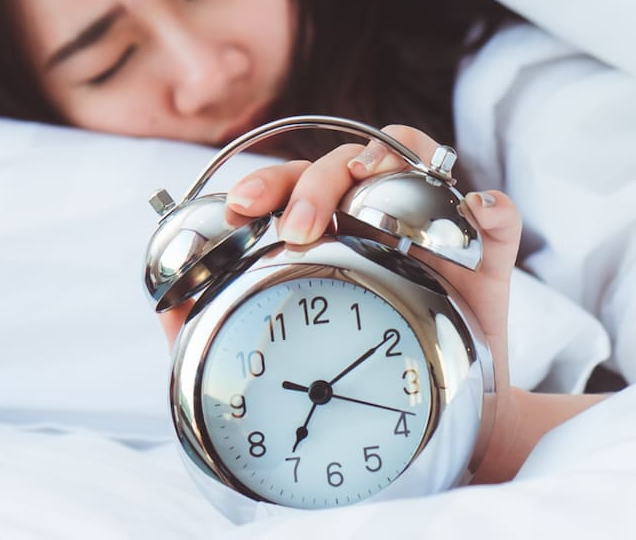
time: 7:09
